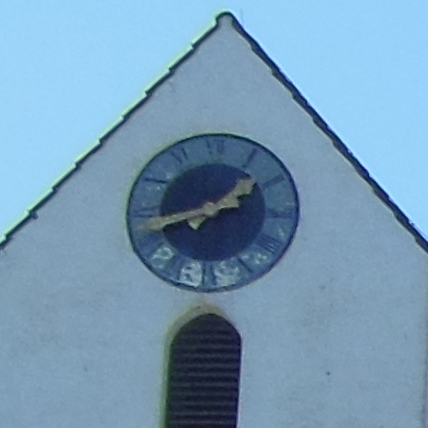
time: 1:43
